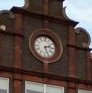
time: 2:26
